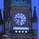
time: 9:32
